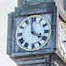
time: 3:58
